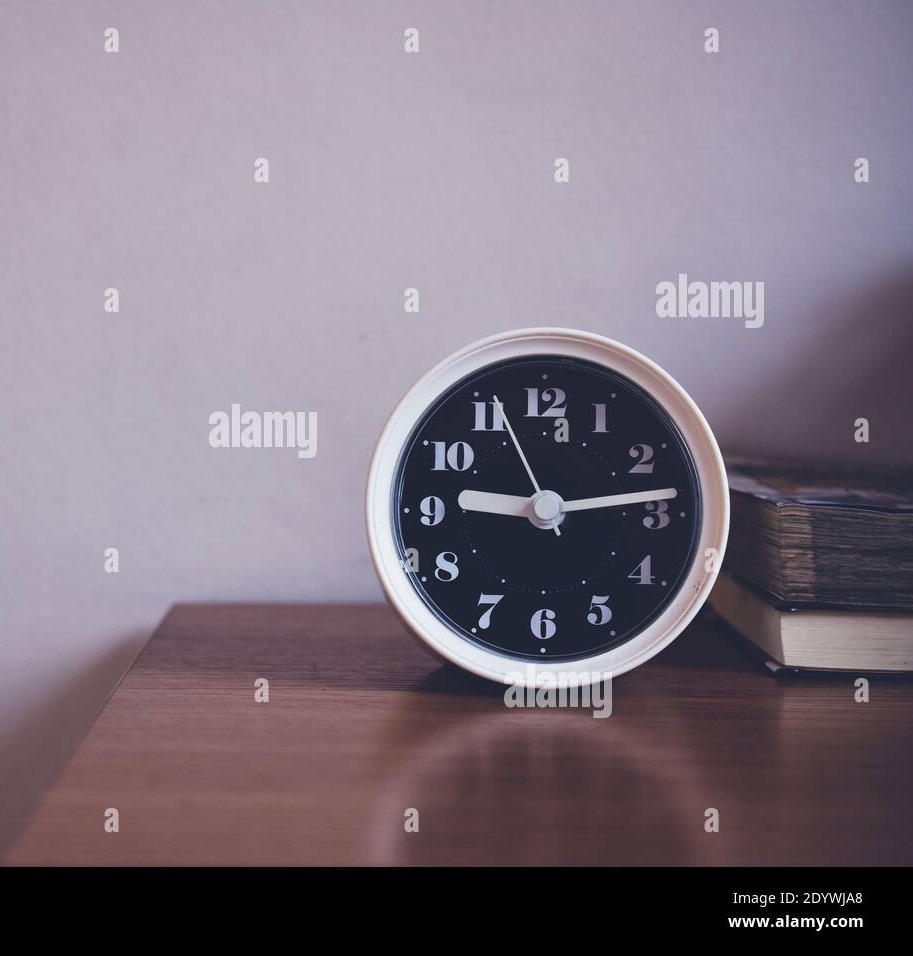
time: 9:13
